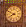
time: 7:49
